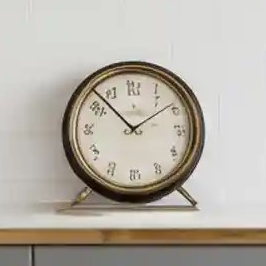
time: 1:52
